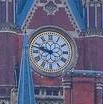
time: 9:47
